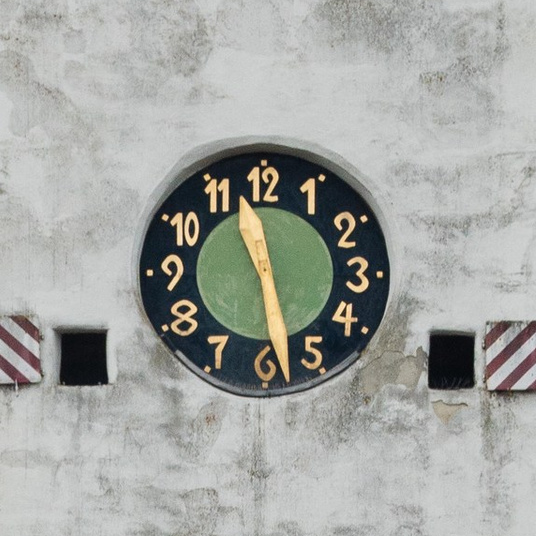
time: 11:28
